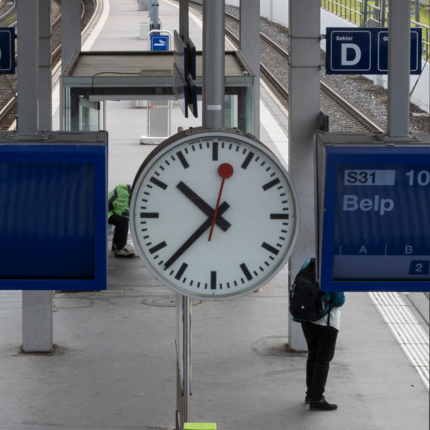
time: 10:37
